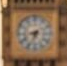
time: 8:33
